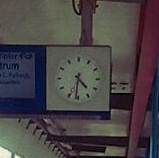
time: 4:31
